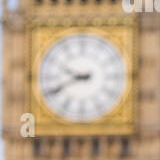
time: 9:41
